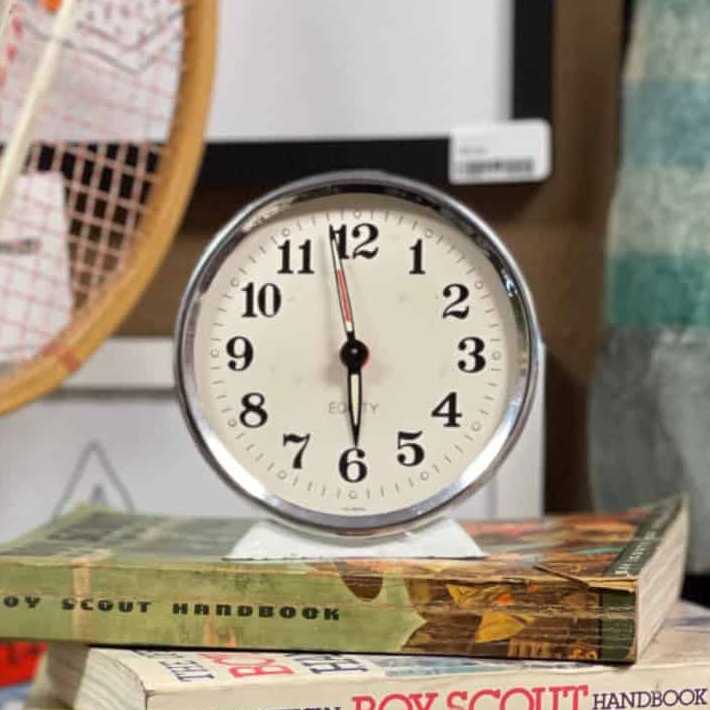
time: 5:58
